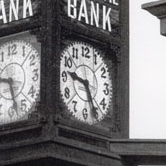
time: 9:25
